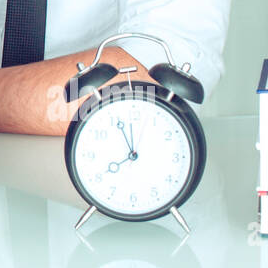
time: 11:39
